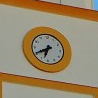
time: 6:40
